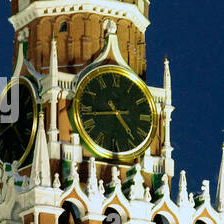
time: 4:43
